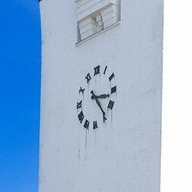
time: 3:23
